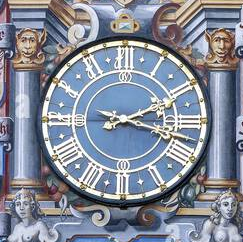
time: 2:18
